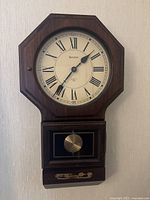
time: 1:36
